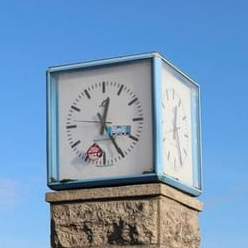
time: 12:24
